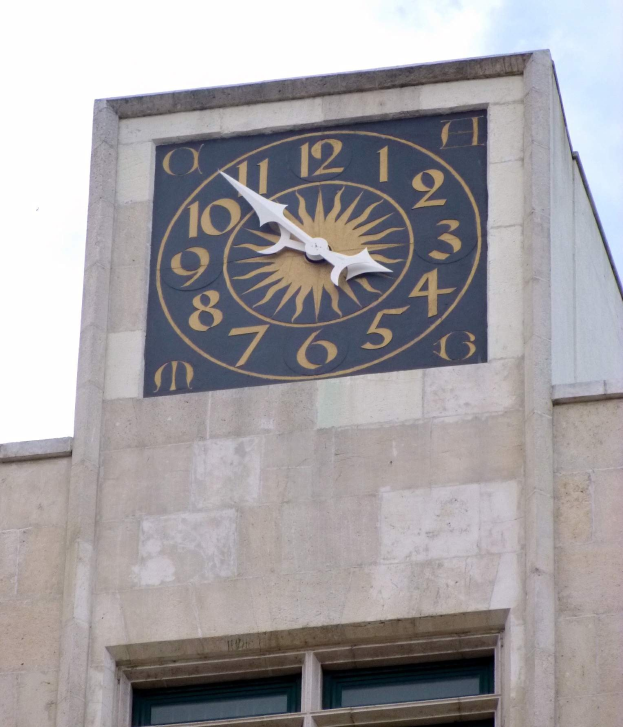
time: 3:53
